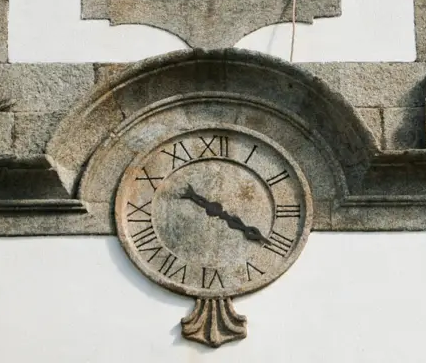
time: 4:20
